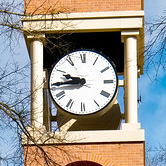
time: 9:44
